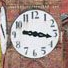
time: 9:16
